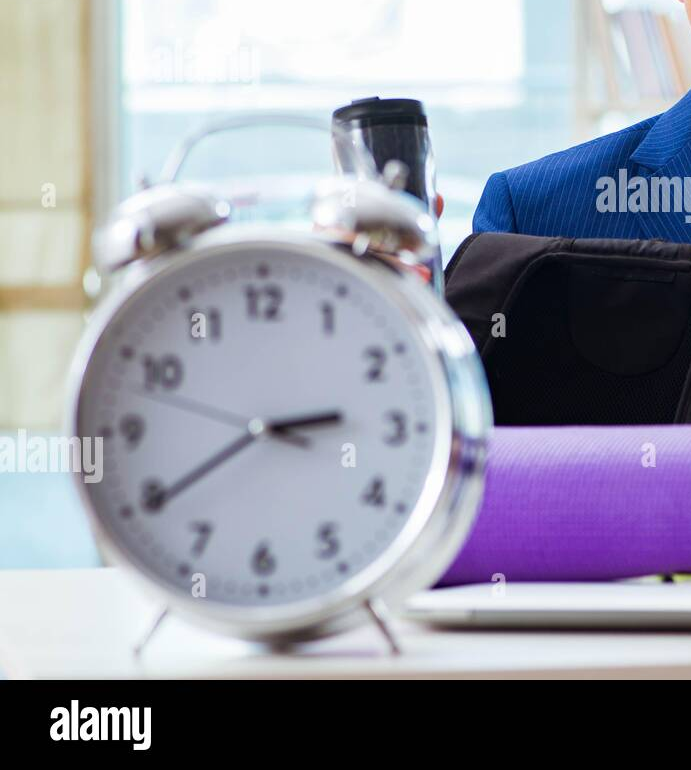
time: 2:39
